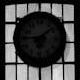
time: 9:07
